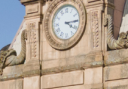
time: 4:14
